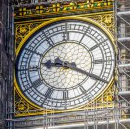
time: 9:20
